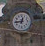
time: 12:43
